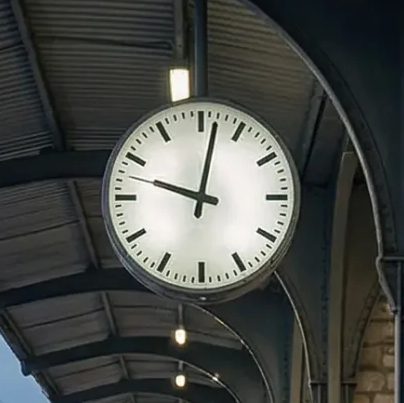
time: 10:02
